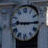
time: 9:15
